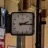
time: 2:15
